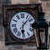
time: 6:07
